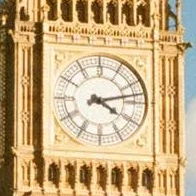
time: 4:12
